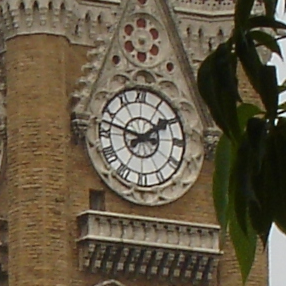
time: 1:47
